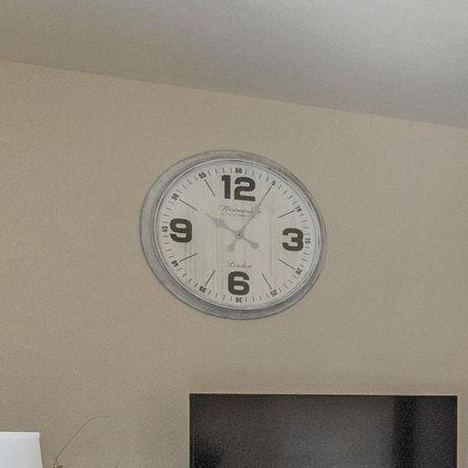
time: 10:04
